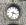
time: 3:33
